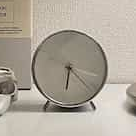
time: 6:22
